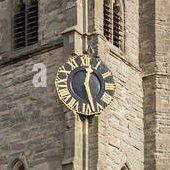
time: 12:26
